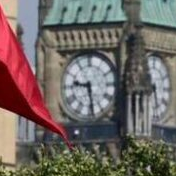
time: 9:28
